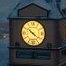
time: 10:21
